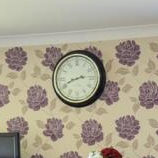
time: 2:41
